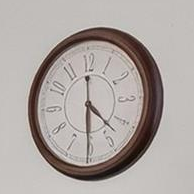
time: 4:30
